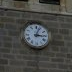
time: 3:03
